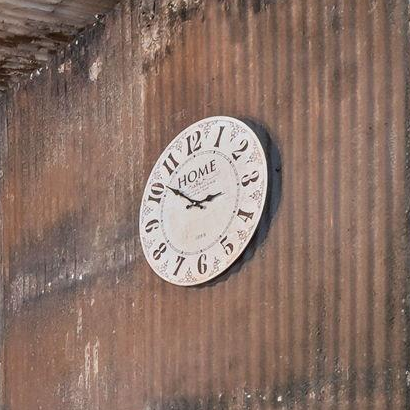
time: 2:52
